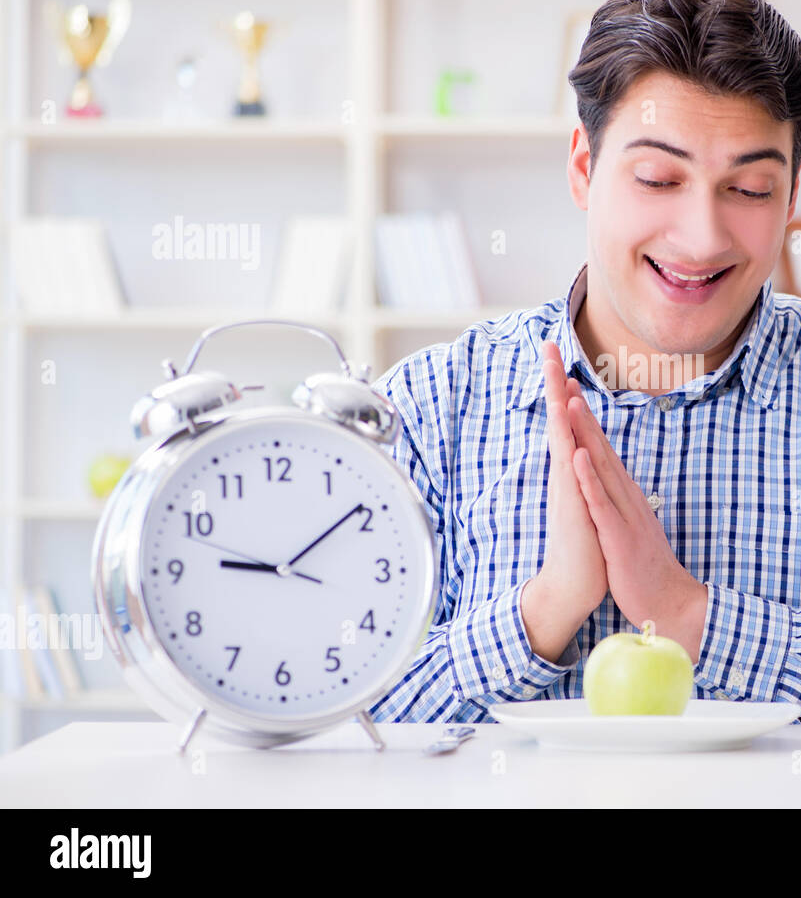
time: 9:09
